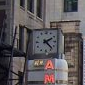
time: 2:22
